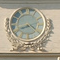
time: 8:21
